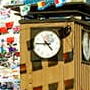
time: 4:45
